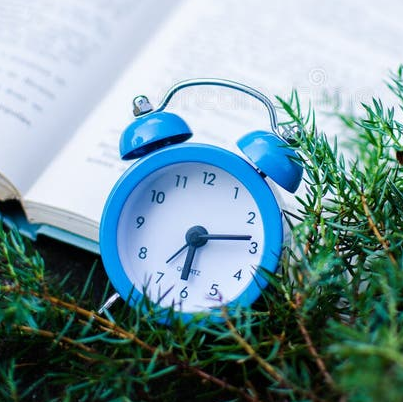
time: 6:13
